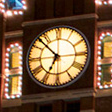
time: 6:52
